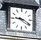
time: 9:20
